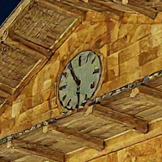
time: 10:28
